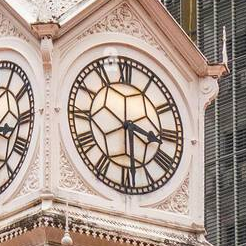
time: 3:28
